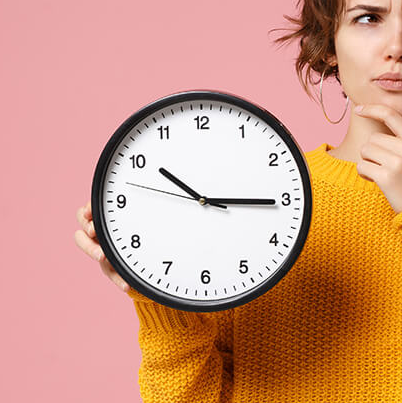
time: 10:15
